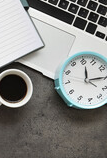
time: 12:14
